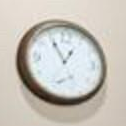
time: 12:55
